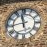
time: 11:43
